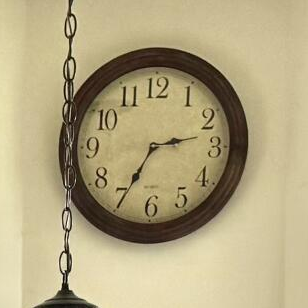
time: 2:34
